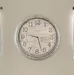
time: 9:26
